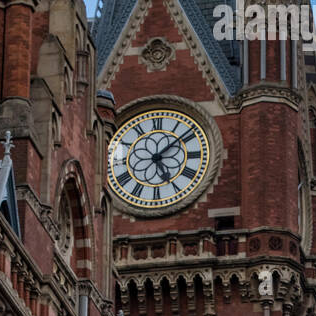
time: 5:08
